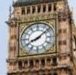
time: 8:08
